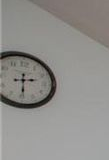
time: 2:29
